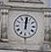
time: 12:01
